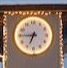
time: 6:45
